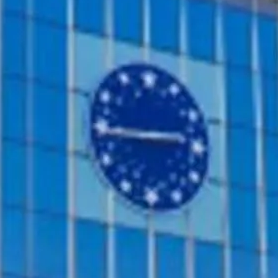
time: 2:44
